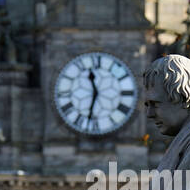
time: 11:32
